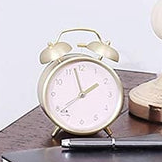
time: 1:57
